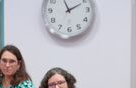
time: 1:56
